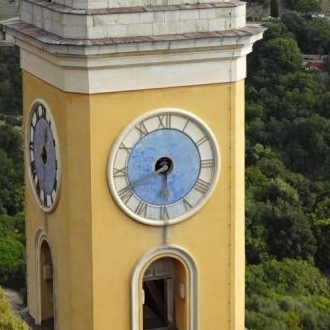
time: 5:41
